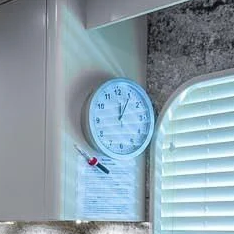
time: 12:05
